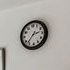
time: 2:37
